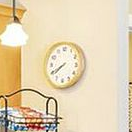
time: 7:40
